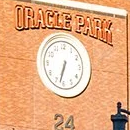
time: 6:32
